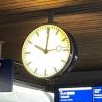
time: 10:00
